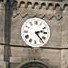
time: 2:23
